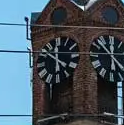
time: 5:51
